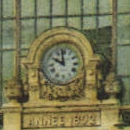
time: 9:58
